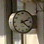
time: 2:21
